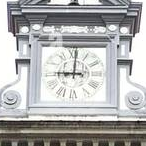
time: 9:00
